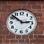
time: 2:51
